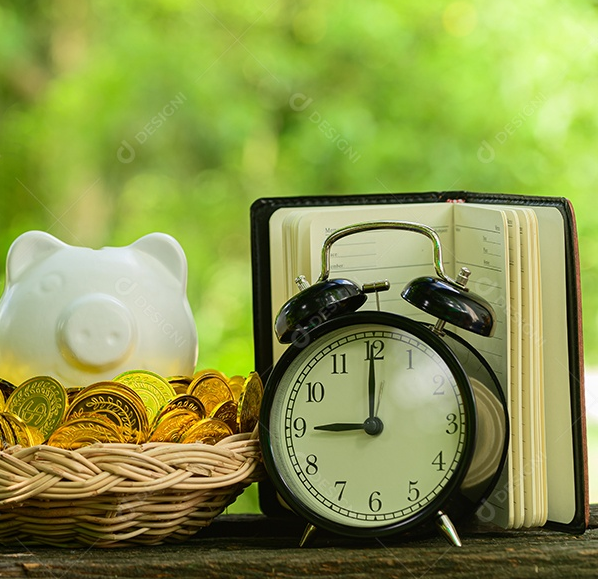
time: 9:00
